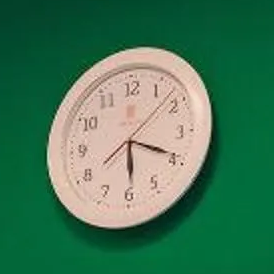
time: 6:19
